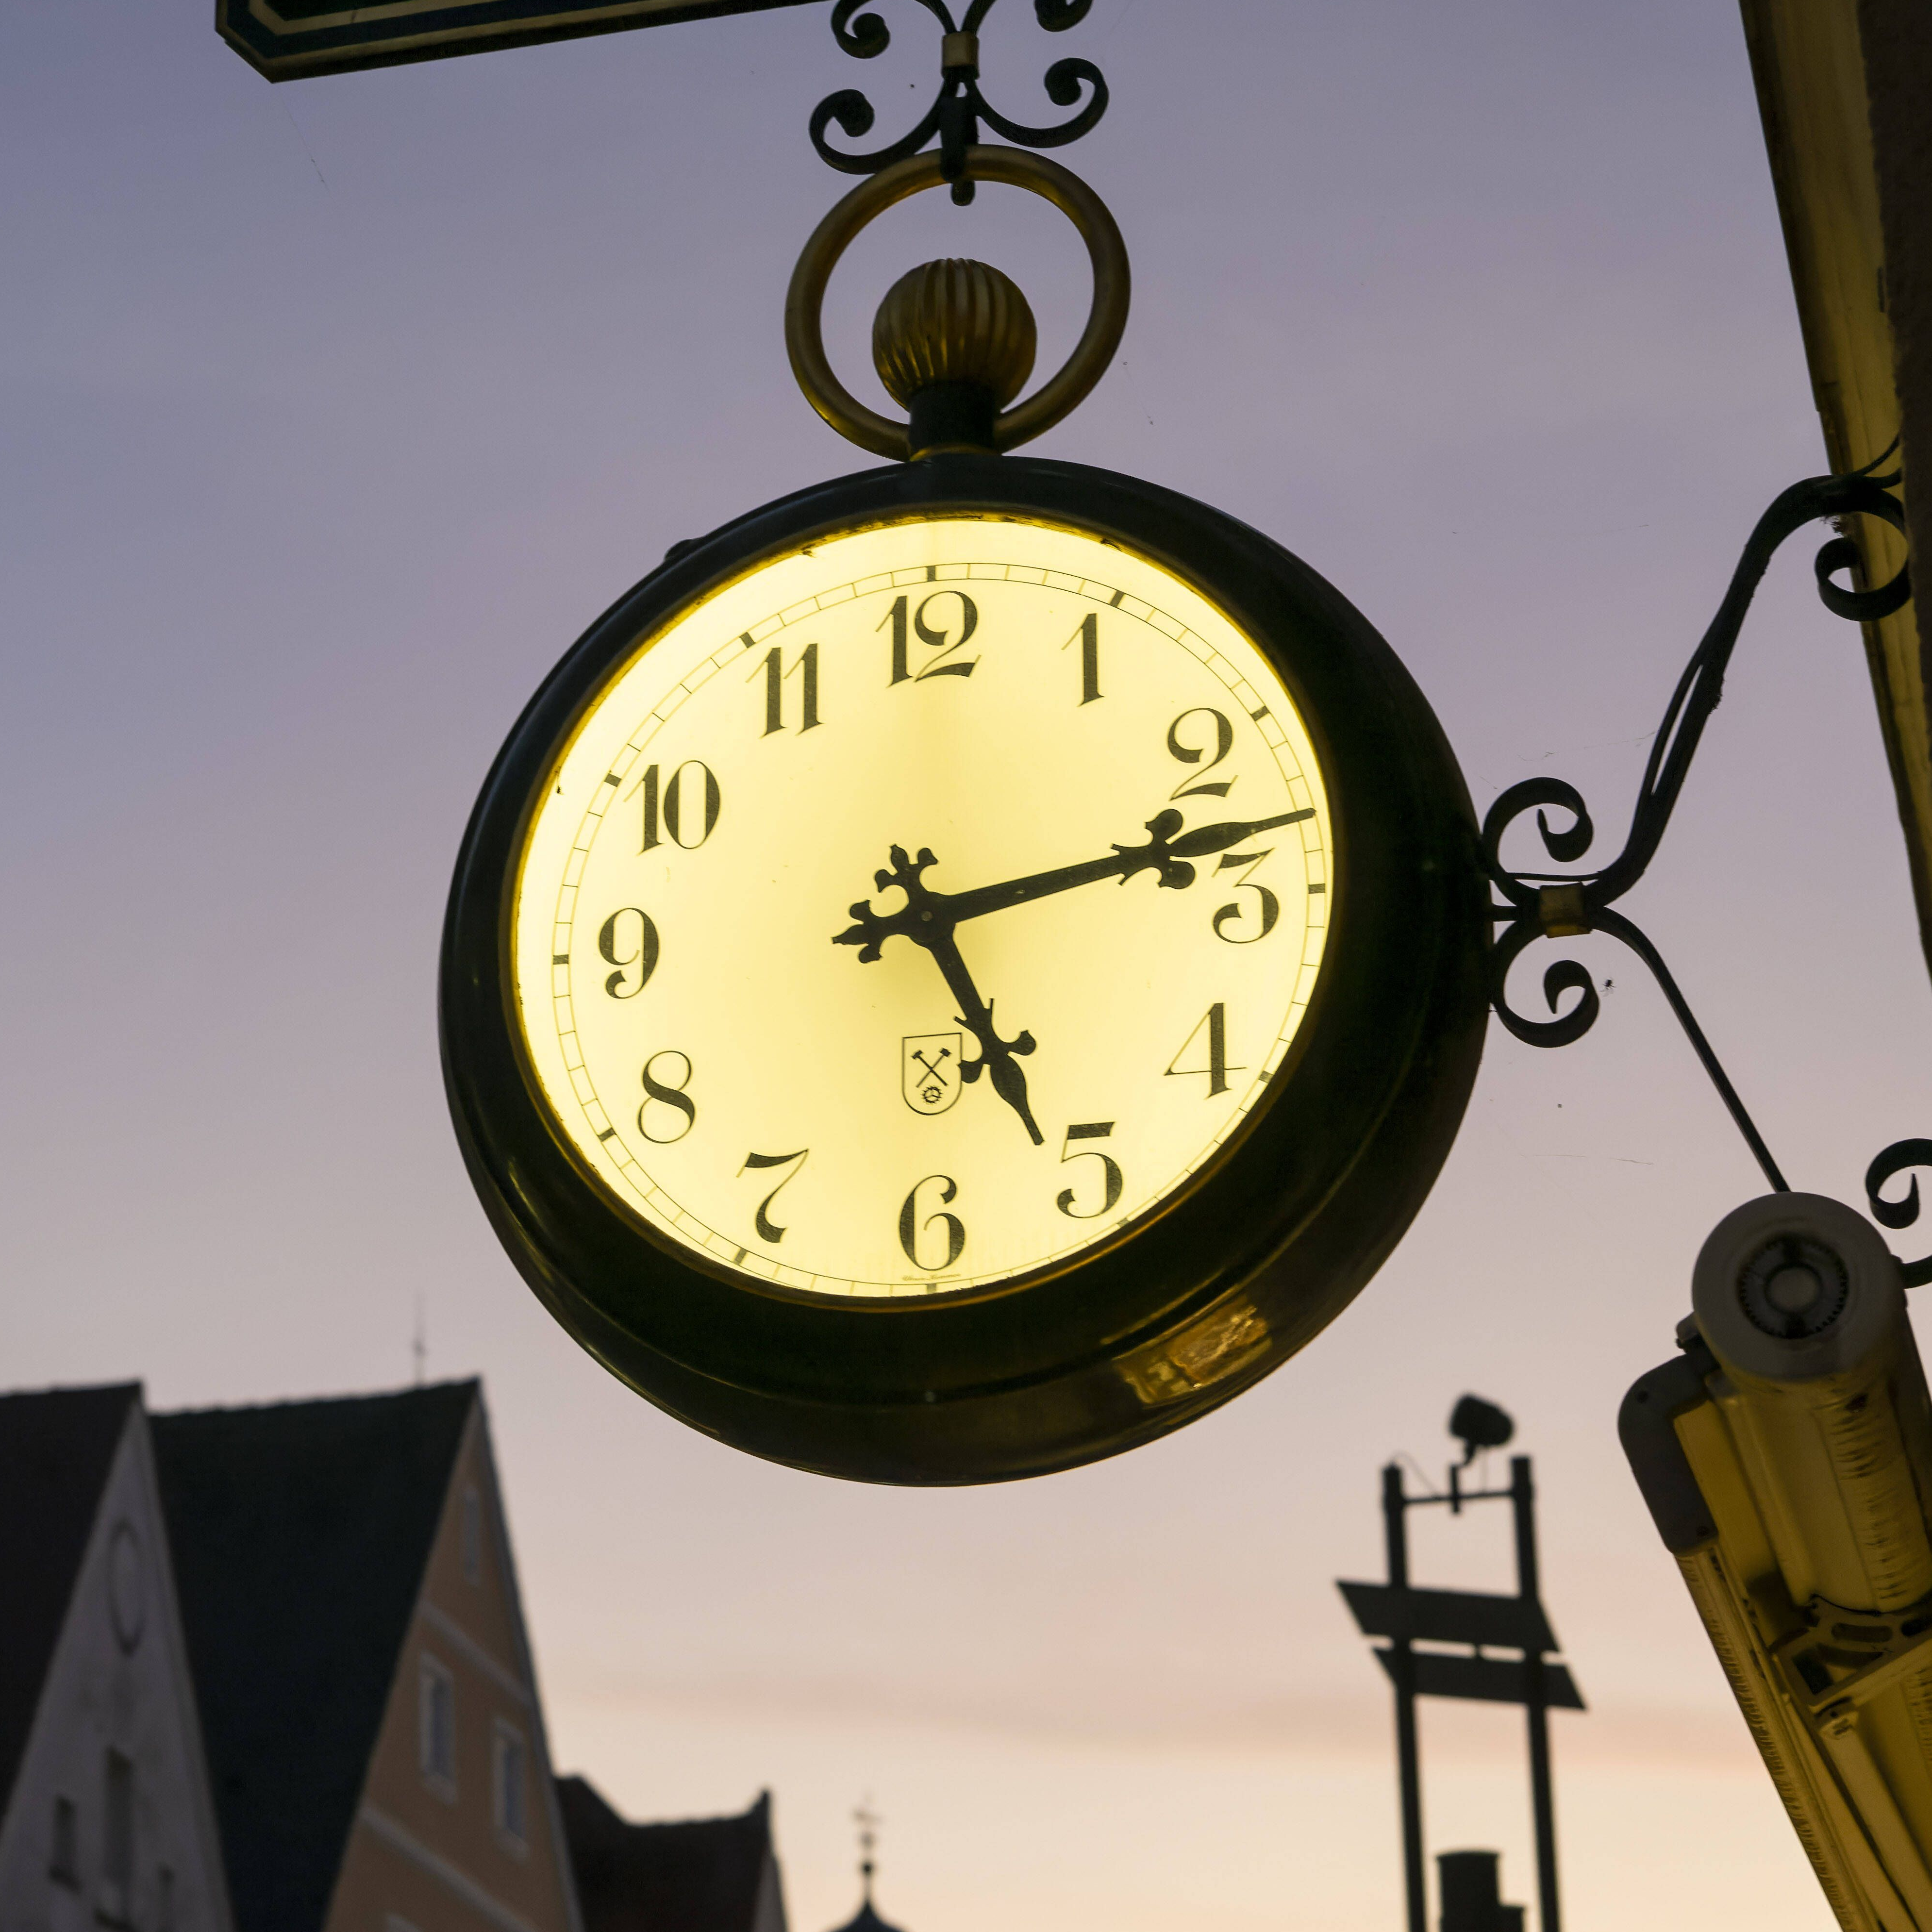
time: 5:13
